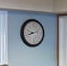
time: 8:12
